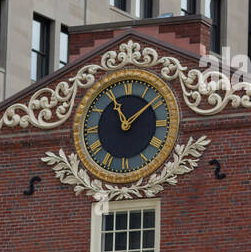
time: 11:08
